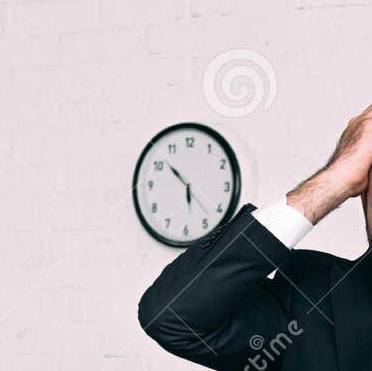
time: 5:51
